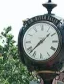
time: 1:37
